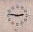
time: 2:46
